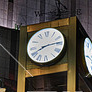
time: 8:13
